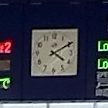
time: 4:09
